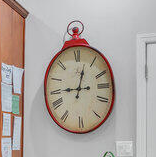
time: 9:02
